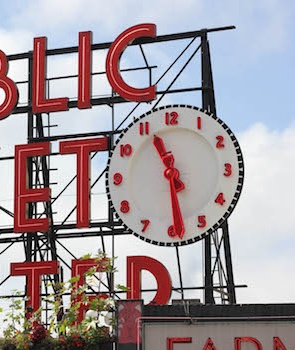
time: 11:29
